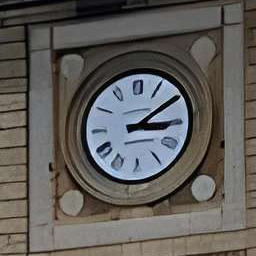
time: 3:09
